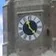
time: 12:23
